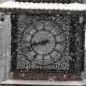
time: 8:42
